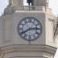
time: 2:40
